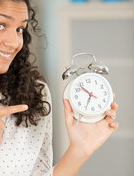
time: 6:53
